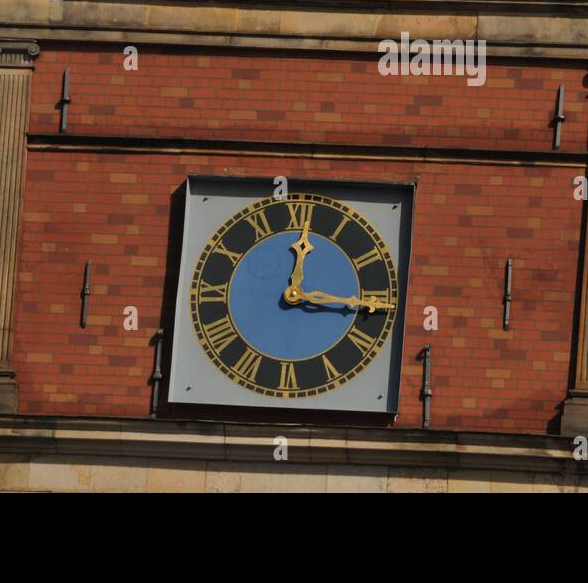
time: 12:15
